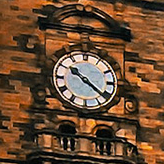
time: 10:21
